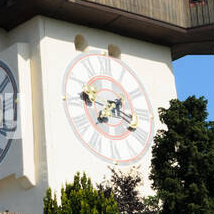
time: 2:18
